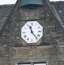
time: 11:23
